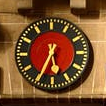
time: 5:34
